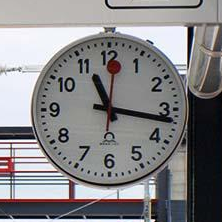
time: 11:16
